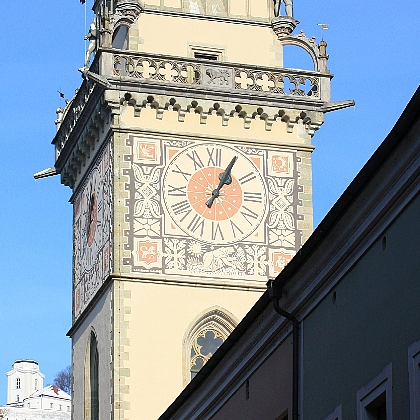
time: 1:04
